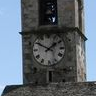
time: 1:50
